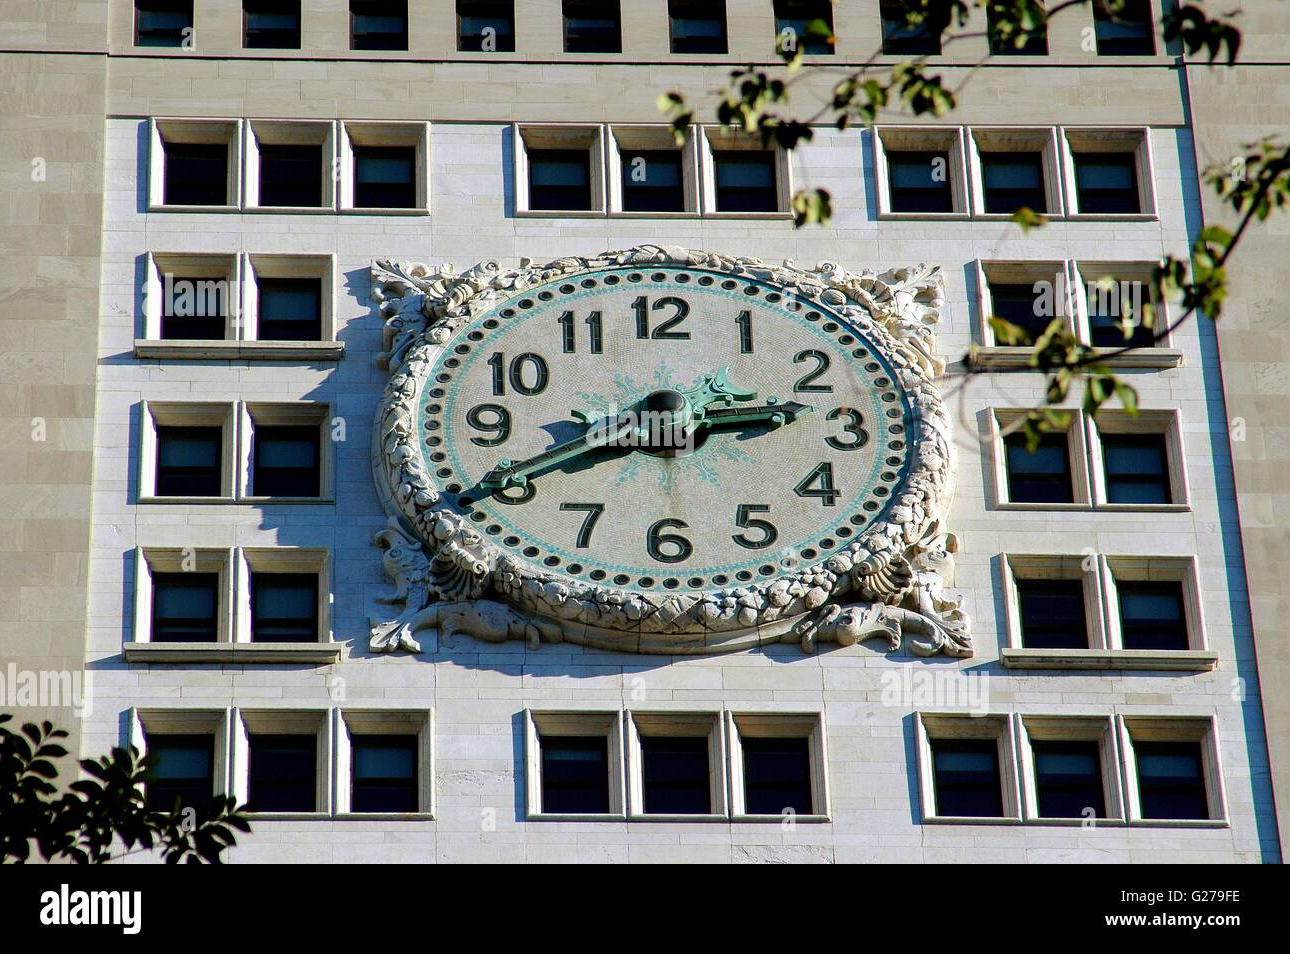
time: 2:40
